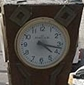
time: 4:17
